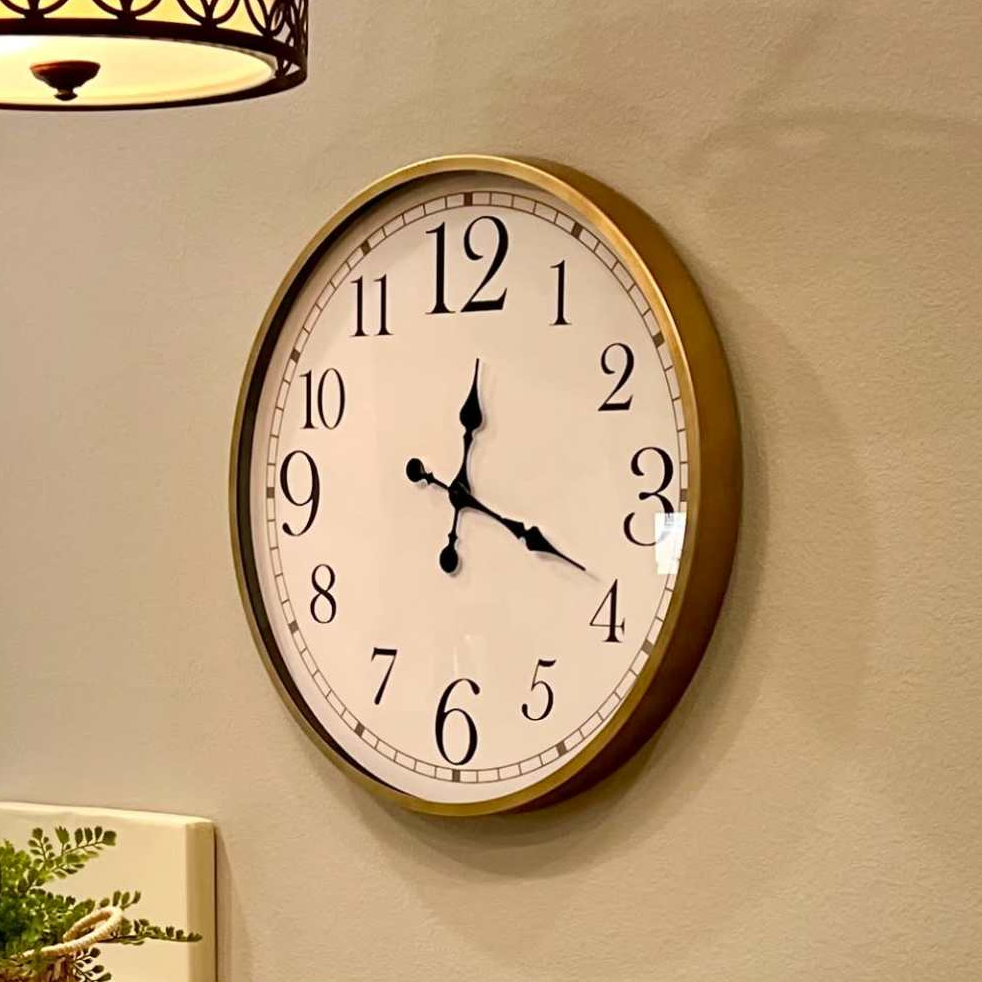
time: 12:18
